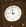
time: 11:46
